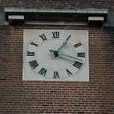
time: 1:18
